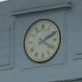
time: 4:10
